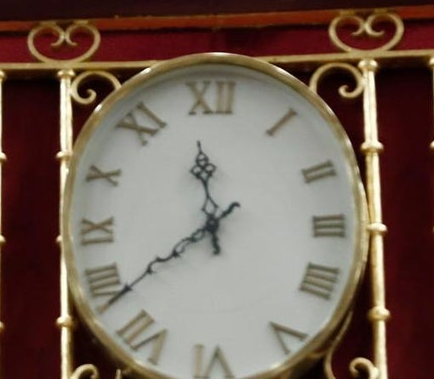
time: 11:38
